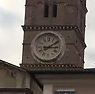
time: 3:09
